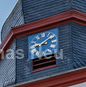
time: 9:08
